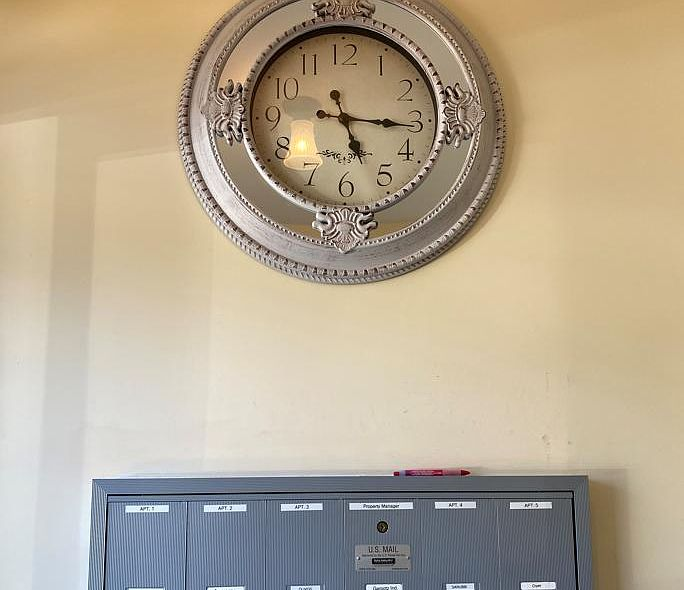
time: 5:15
